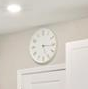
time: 5:15
